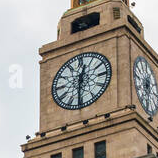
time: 12:30
